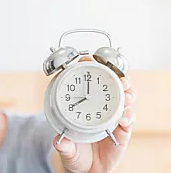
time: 8:00
